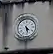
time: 4:27
